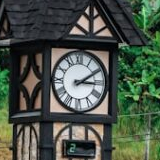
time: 3:09
